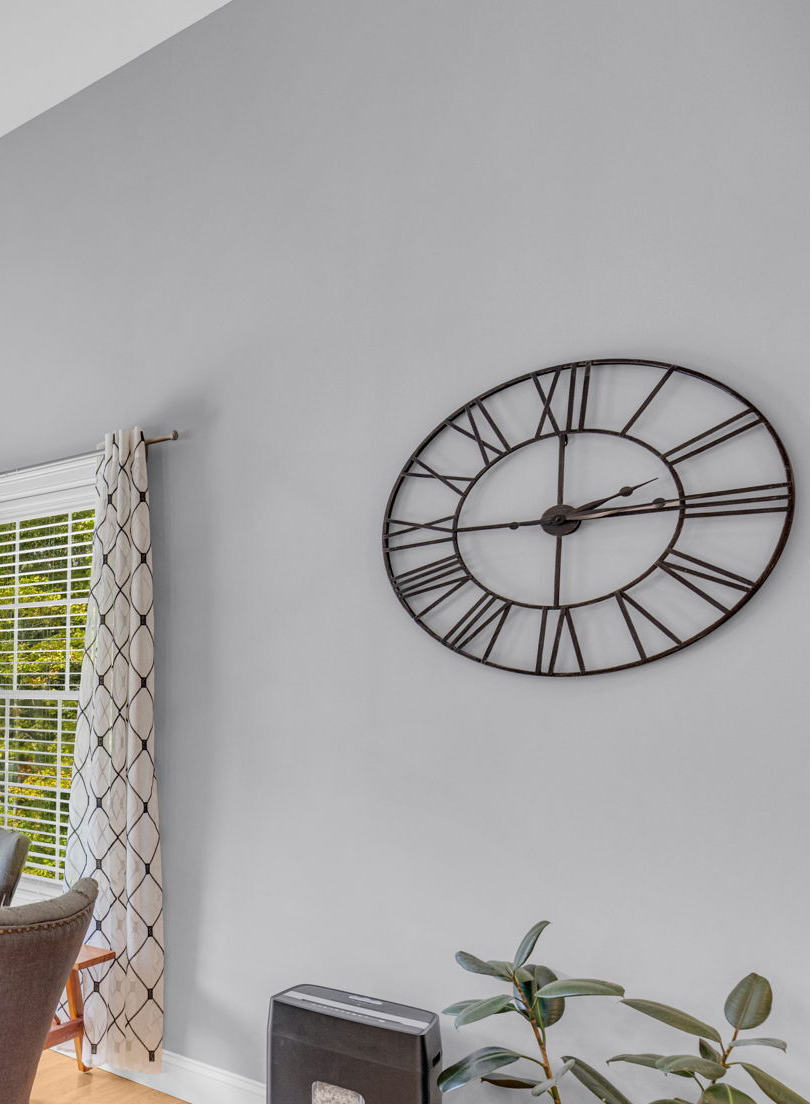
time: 2:14
